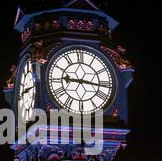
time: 9:16
